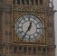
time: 12:35
